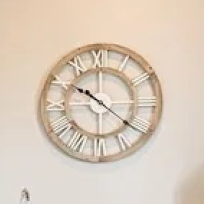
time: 10:21
